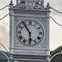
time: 5:54
